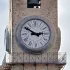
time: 2:50
